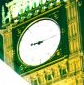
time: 9:15
